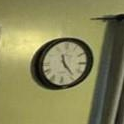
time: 11:23
